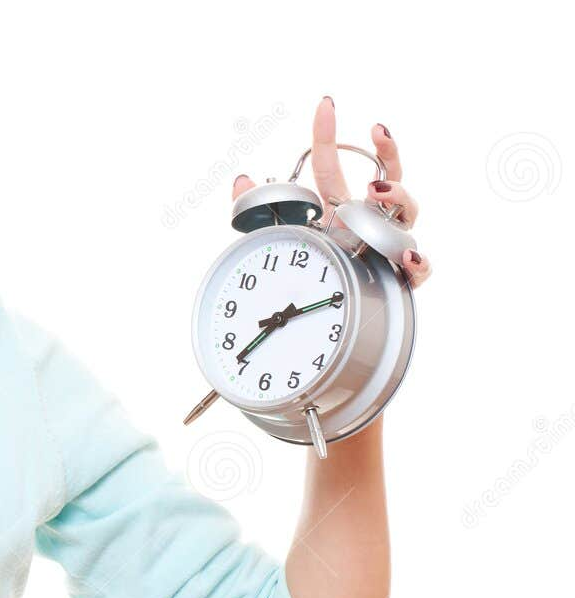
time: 7:09
